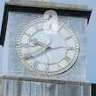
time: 9:39
